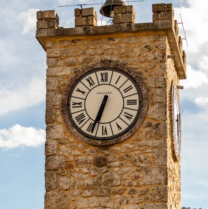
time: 6:34
